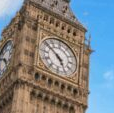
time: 4:51
